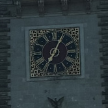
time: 7:04
